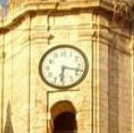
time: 6:17
